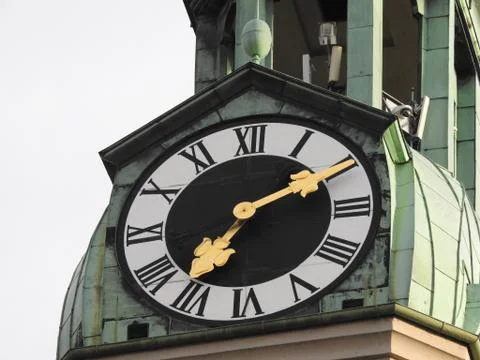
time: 7:10
